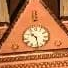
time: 10:28
